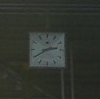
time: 2:39
